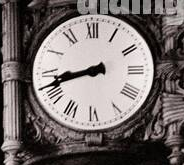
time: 8:42
